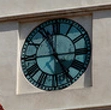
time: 11:24
